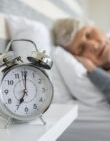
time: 7:00
